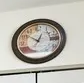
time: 12:51
